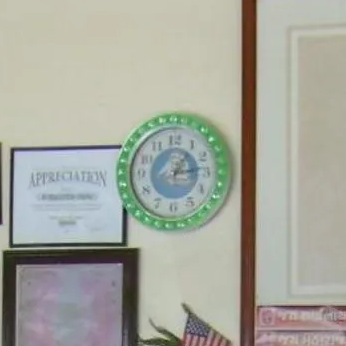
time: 1:14
